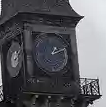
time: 1:11
